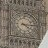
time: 4:14
